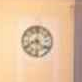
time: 8:22
